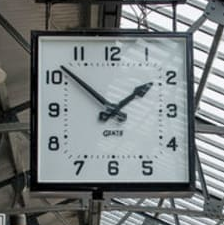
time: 1:51
